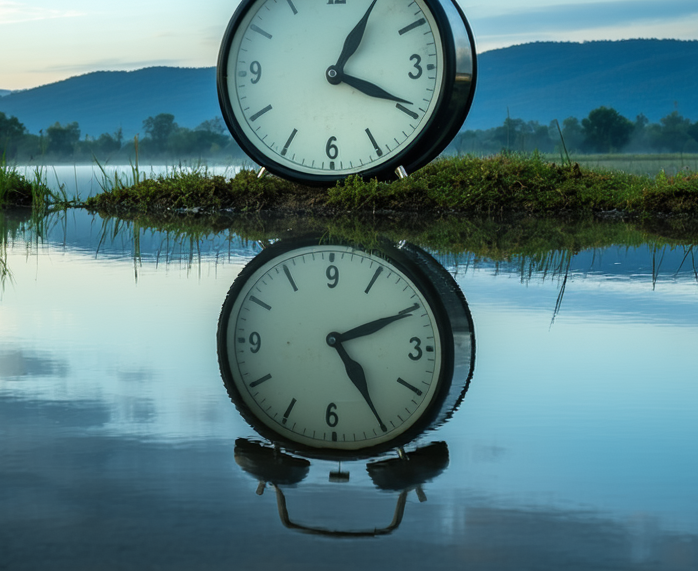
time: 5:10
